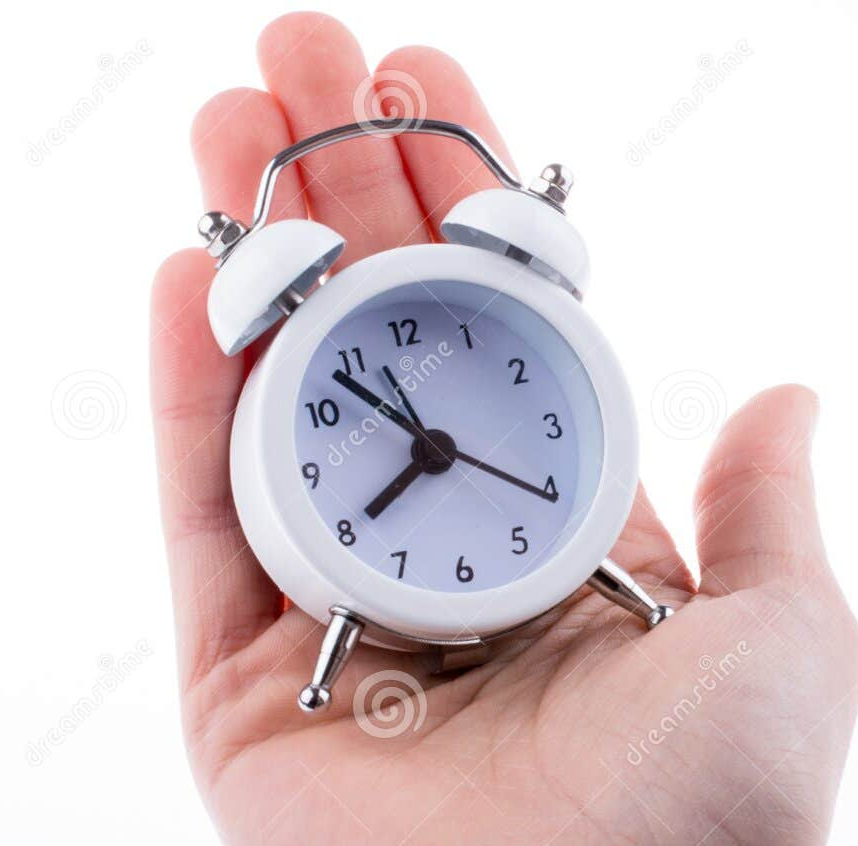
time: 7:53
